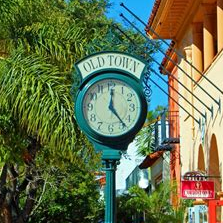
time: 12:23
